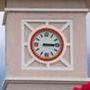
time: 3:14
